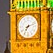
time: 7:11
